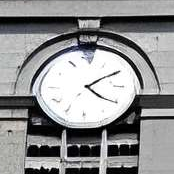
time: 4:09
